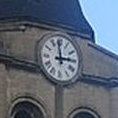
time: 2:58
